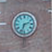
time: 2:33
